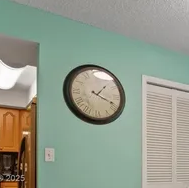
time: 1:18
